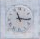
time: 11:16
